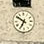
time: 6:50
